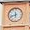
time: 11:42
